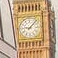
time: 9:07
